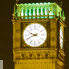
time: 9:41
